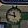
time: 11:47
